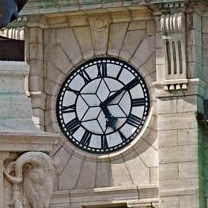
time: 5:09
